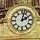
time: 2:02
